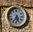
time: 5:35
